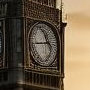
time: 11:44
